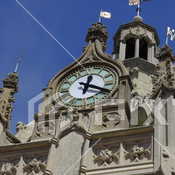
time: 12:19
